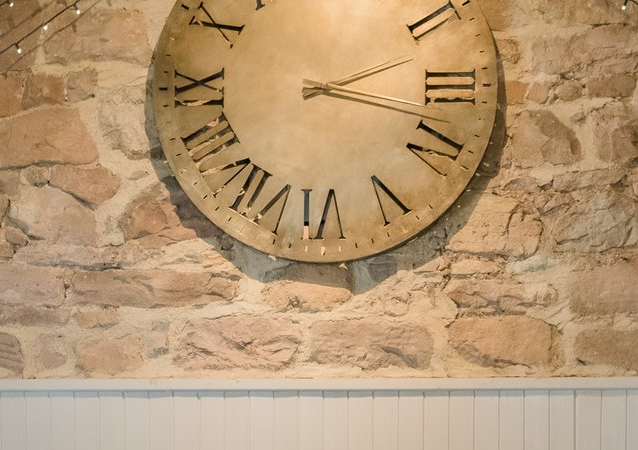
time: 2:17
